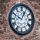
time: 12:49
